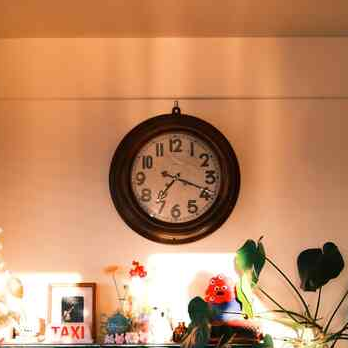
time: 7:18
